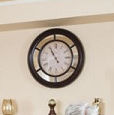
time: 10:55
